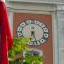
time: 6:27
